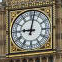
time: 9:01
